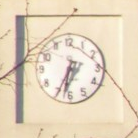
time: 6:34
